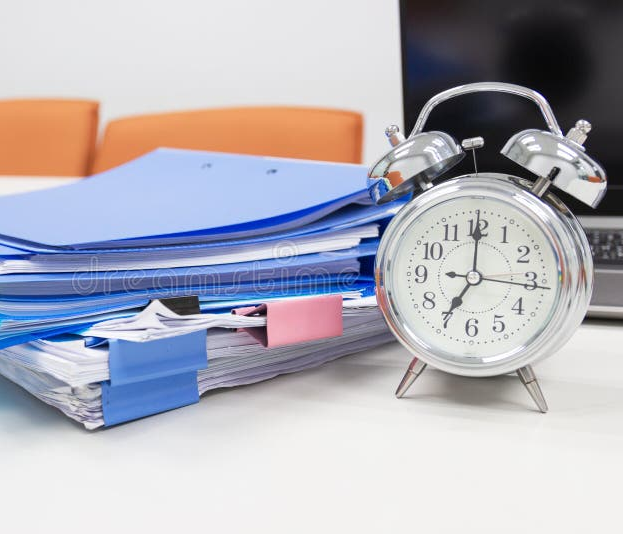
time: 7:00
